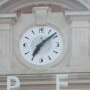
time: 7:08
